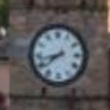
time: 7:42
